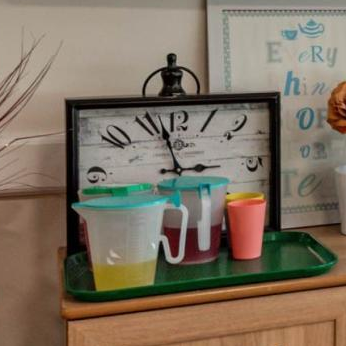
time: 2:56
